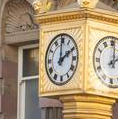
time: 1:59
